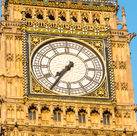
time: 7:35
